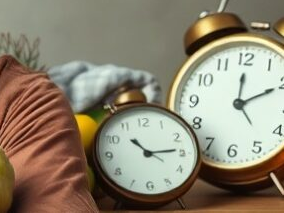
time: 10:13
